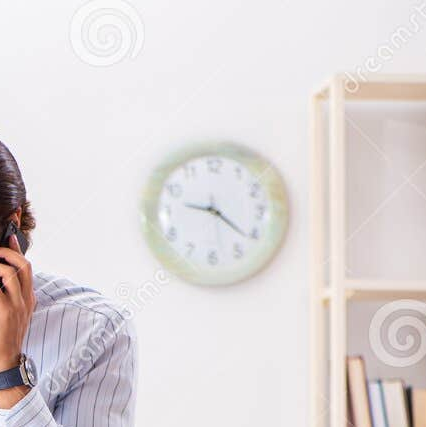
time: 9:21
